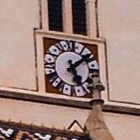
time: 5:08
